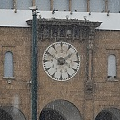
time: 1:49
